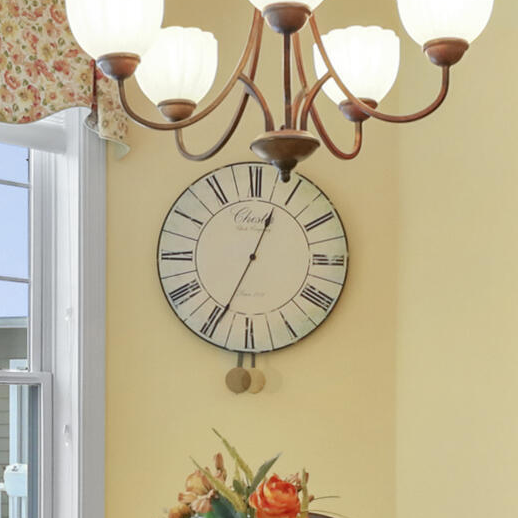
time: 12:34
